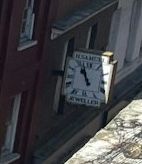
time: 10:56
